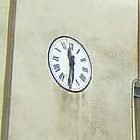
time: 11:31
